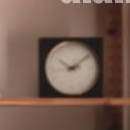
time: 10:08
